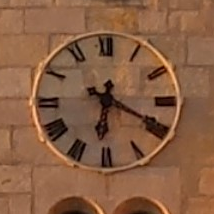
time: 6:19
